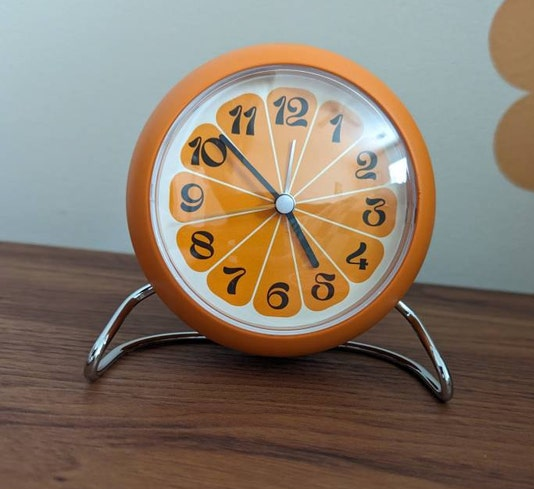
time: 4:52
